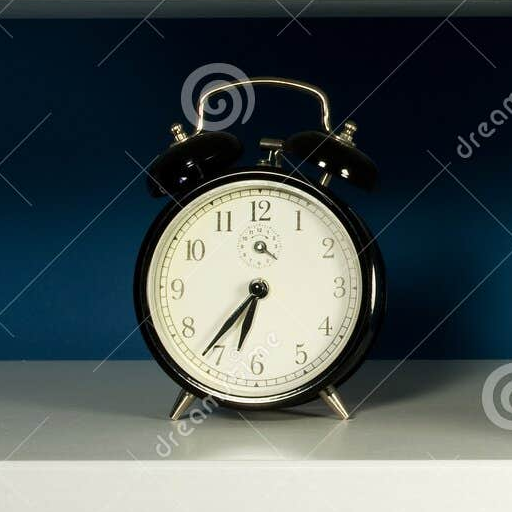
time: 6:36
